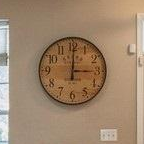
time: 3:00
